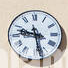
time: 9:28
